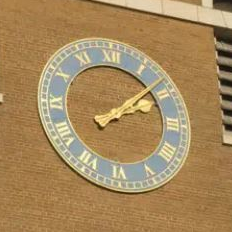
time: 2:08
